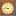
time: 9:43
